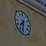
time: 7:32
